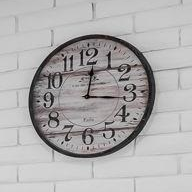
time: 12:16
